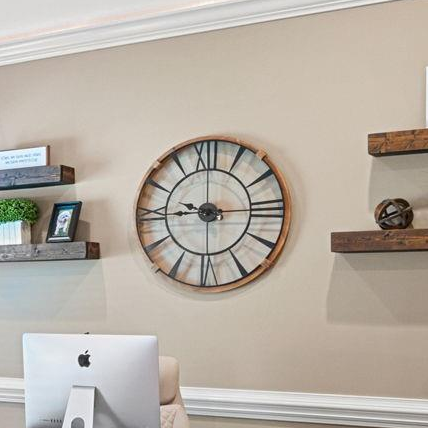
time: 9:14
